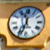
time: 11:33
